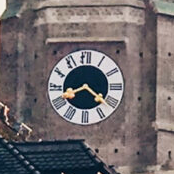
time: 8:21
